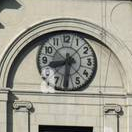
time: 8:32
